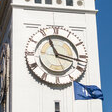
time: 11:17
